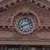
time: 8:11
